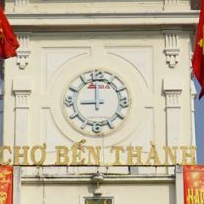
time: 8:58
